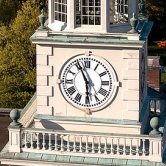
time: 5:55
